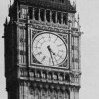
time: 4:27
